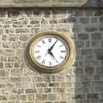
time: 5:05
